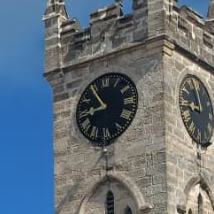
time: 8:54
